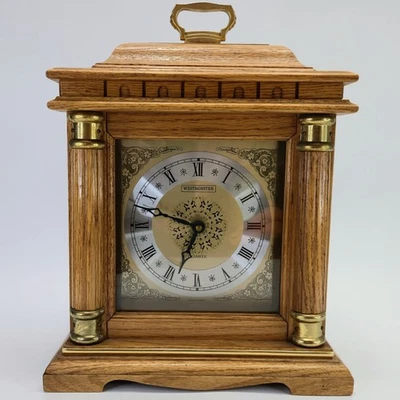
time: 6:47
